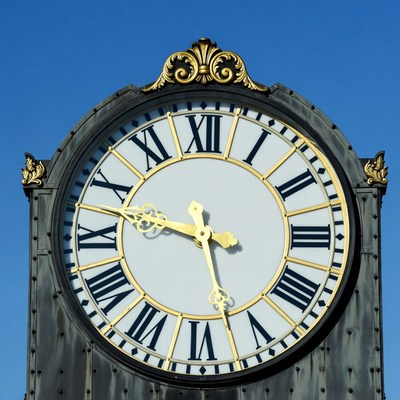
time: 9:27
